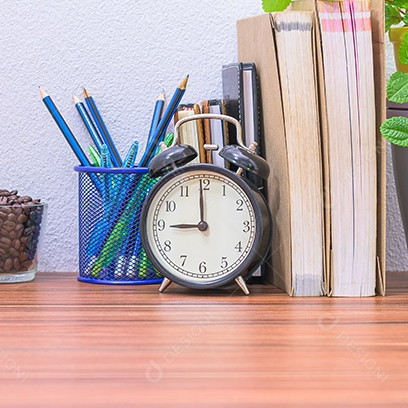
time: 8:59
